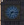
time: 7:15
